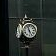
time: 4:57
